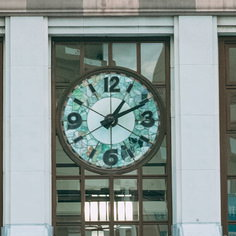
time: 1:10
